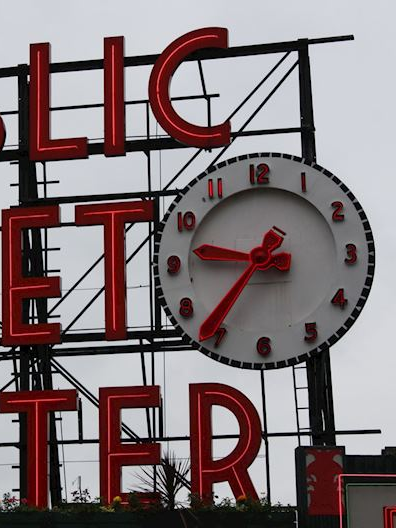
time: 9:36
